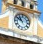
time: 10:50
